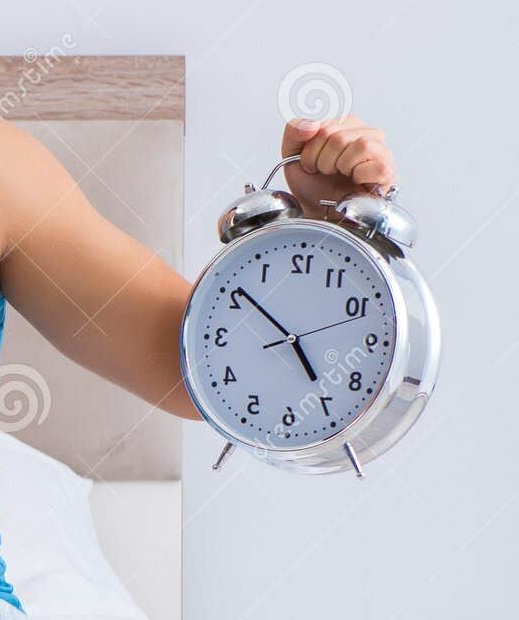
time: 4:51
